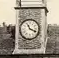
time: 11:18
